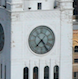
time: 7:24
